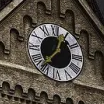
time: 12:37
